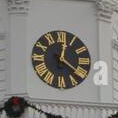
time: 4:02
